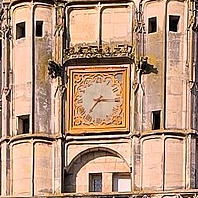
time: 7:15
